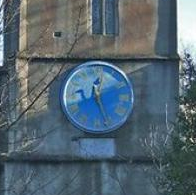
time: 12:26
